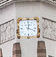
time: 12:18
